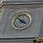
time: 3:52
